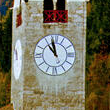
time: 10:58
